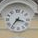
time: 3:36
